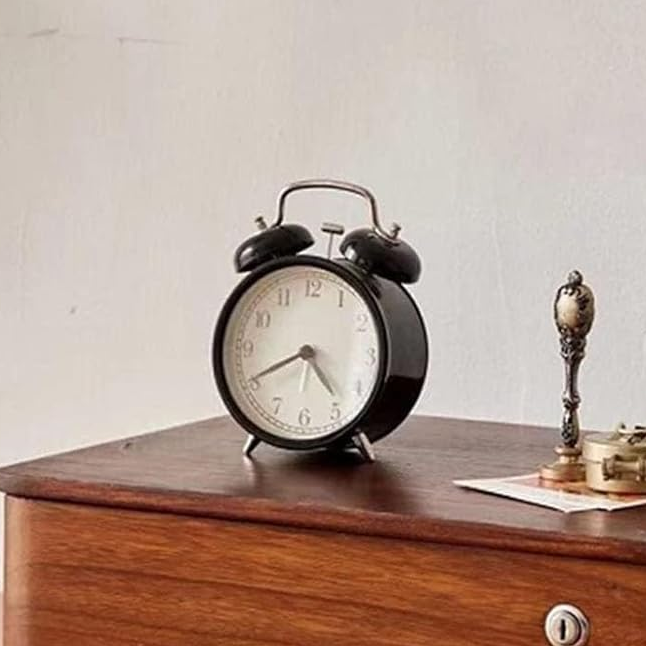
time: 4:40
